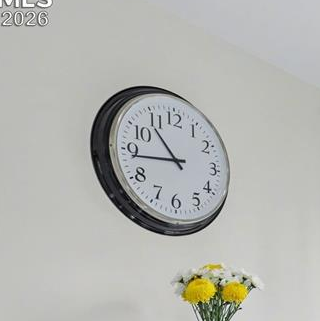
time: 10:43
